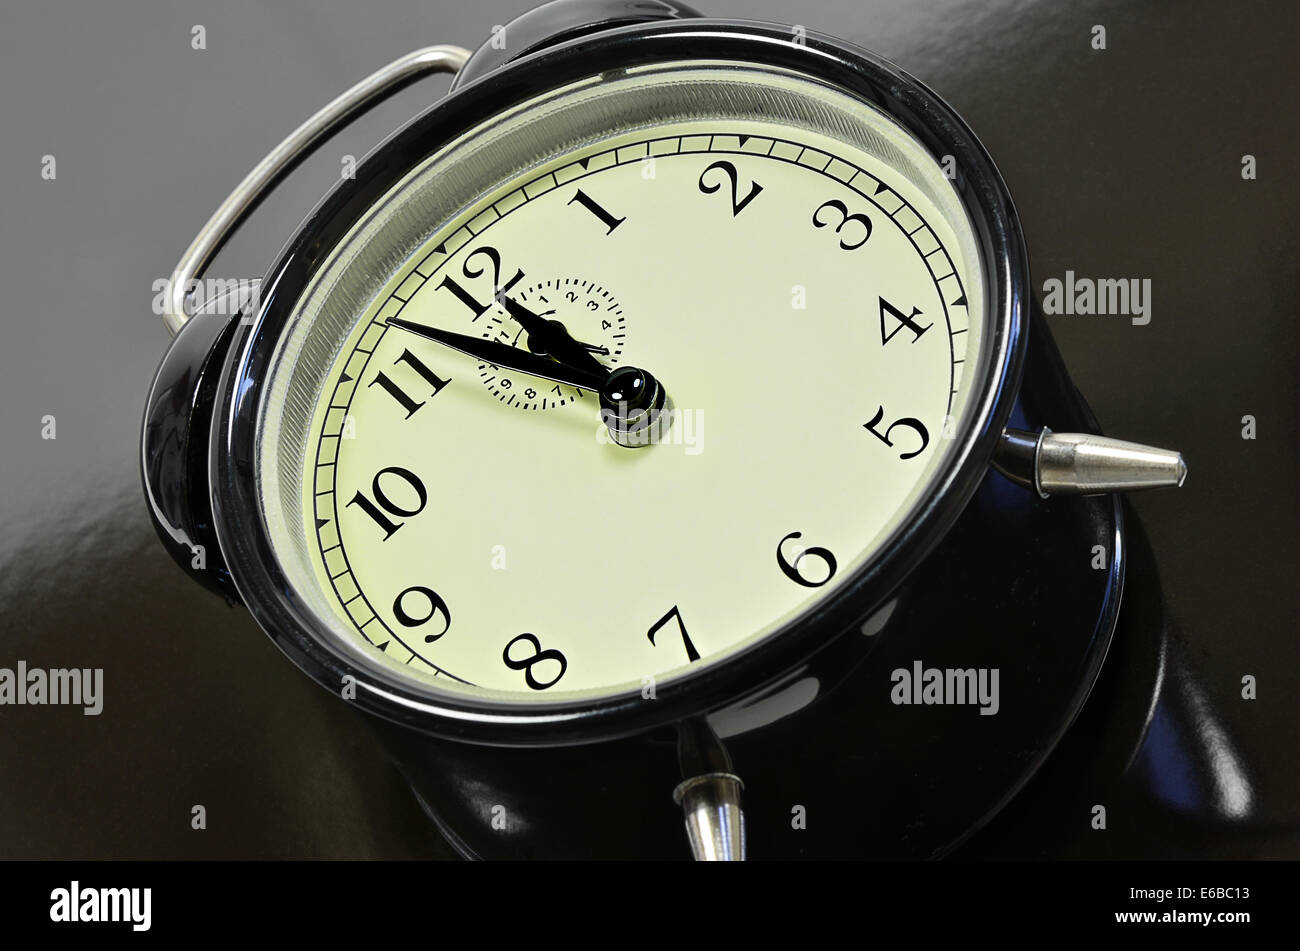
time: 10:51
